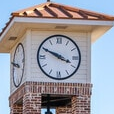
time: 3:49
